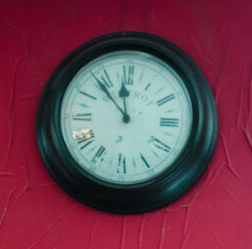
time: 11:52
